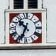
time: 10:34
